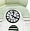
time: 4:02
